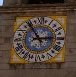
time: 2:54
